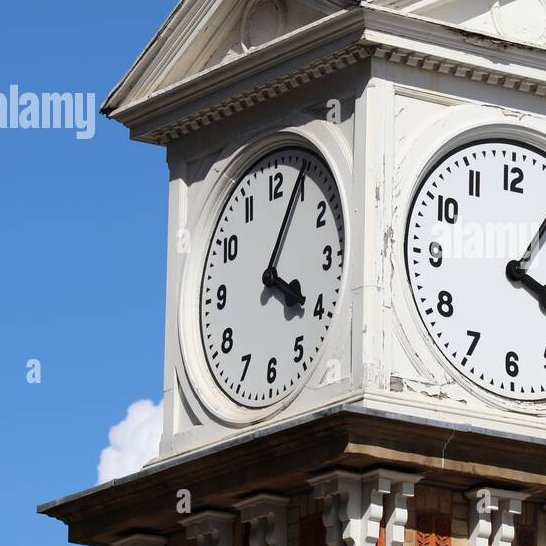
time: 4:04
